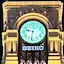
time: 9:31
